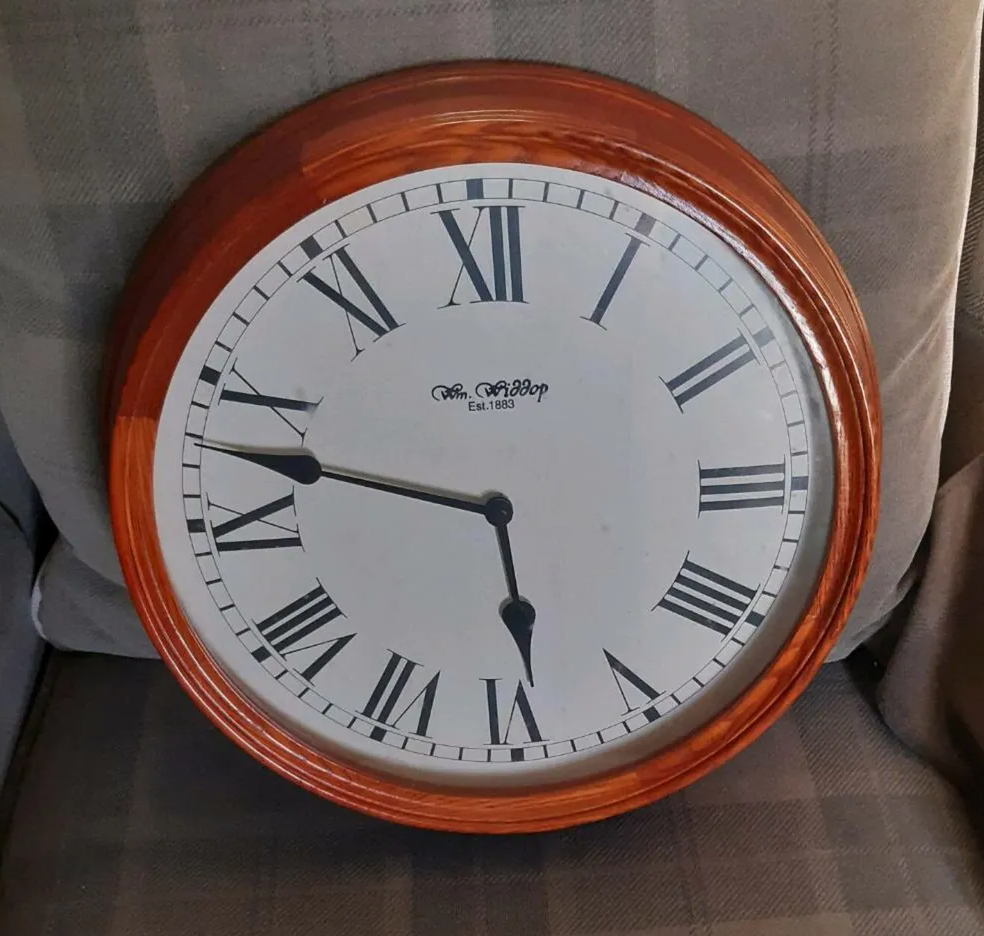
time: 5:47
